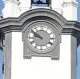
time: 9:51
